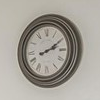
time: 2:09
